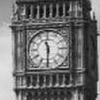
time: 11:30
